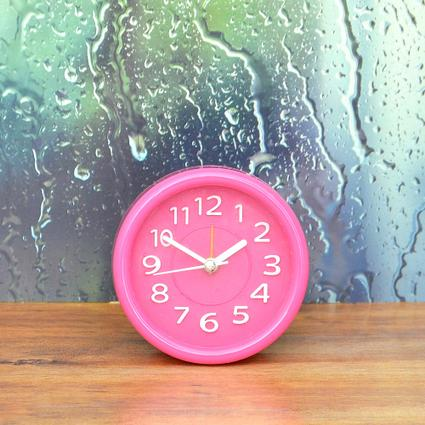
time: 1:50
